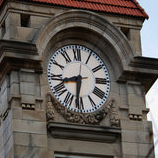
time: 8:32
